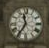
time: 11:35
